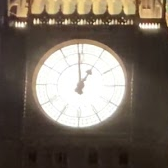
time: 12:59
